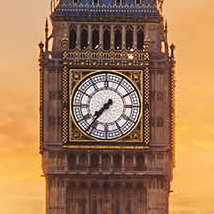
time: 7:36
